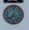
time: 7:24
